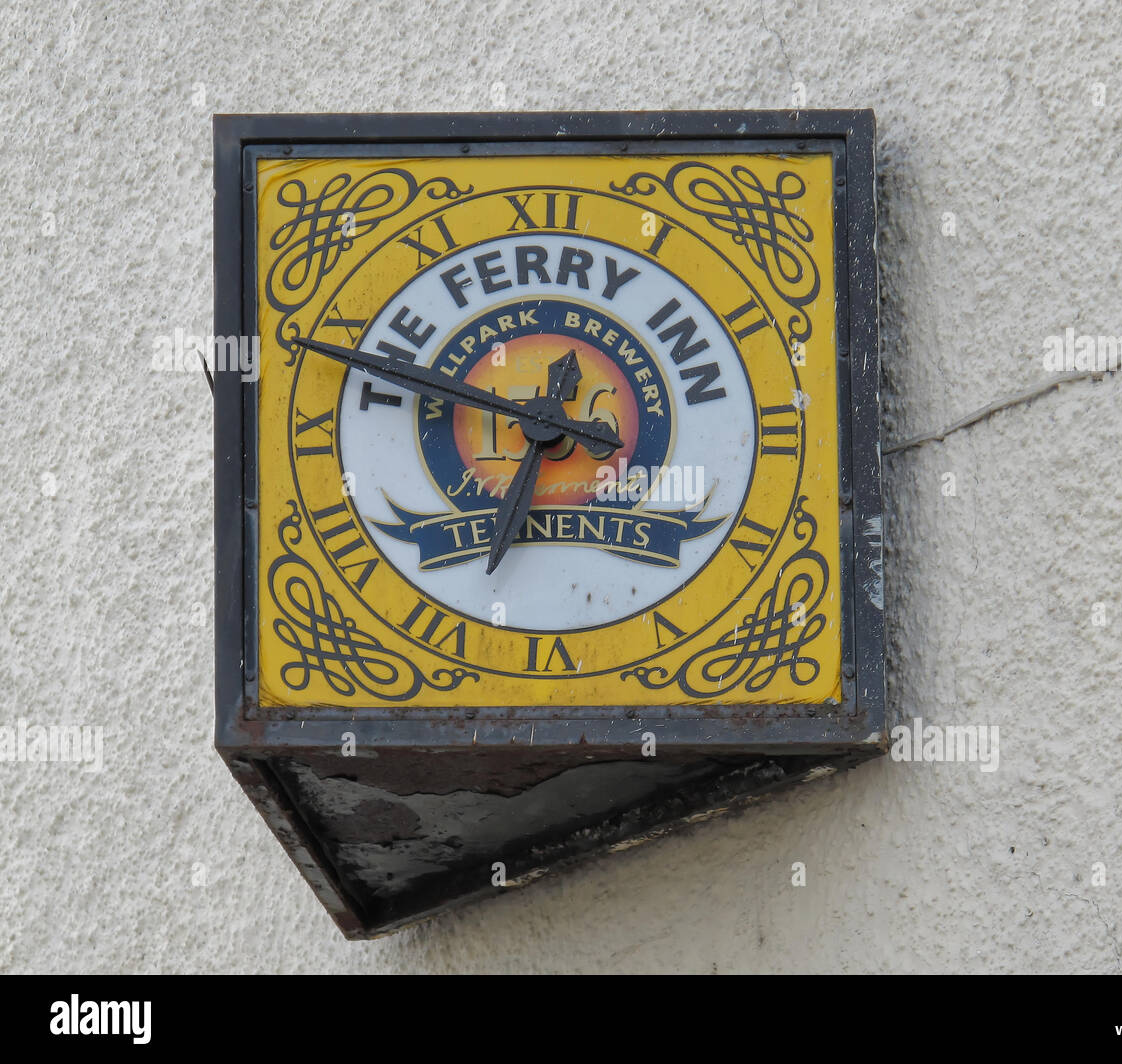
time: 6:47
